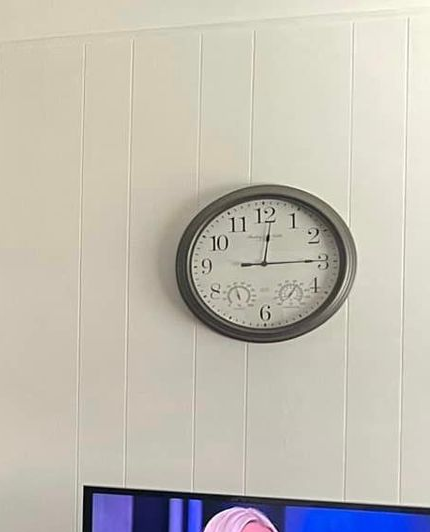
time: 12:14
